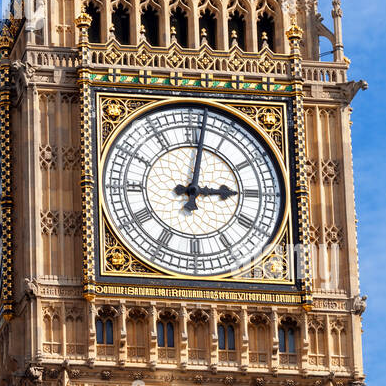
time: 3:02
